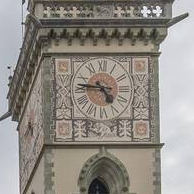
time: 4:46
